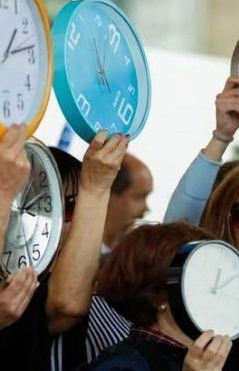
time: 3:12
